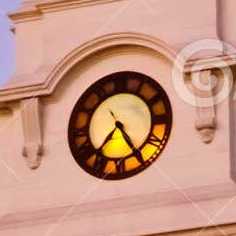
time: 7:24
